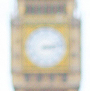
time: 3:13
